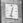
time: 6:32
